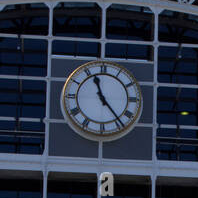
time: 11:23
